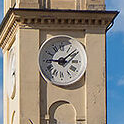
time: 9:08
